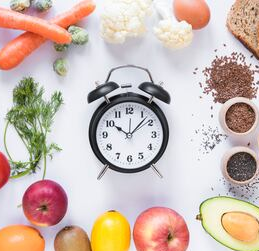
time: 10:07
